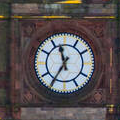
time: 11:35
